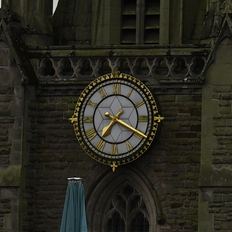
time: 7:19
